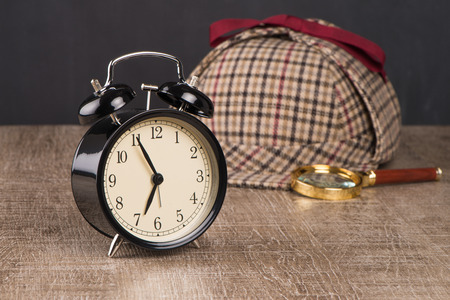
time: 6:55
